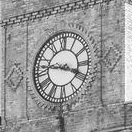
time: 3:46
